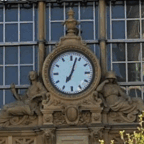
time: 7:03
